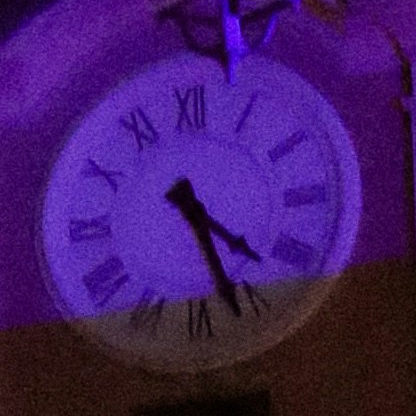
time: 4:26
